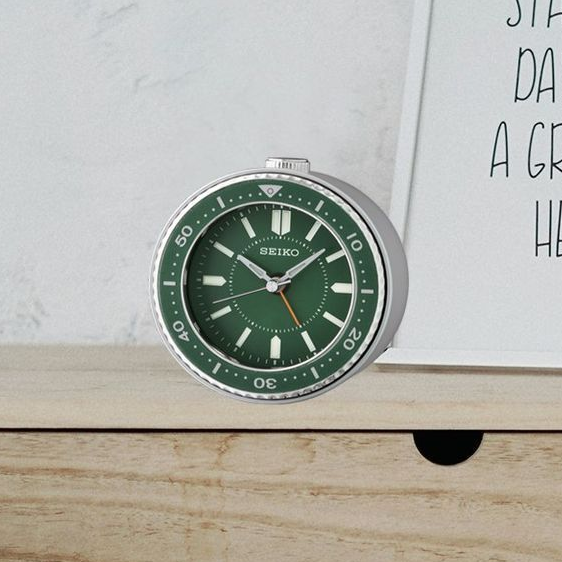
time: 10:08
